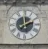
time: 1:59
